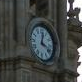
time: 12:18
